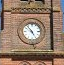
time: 4:52
